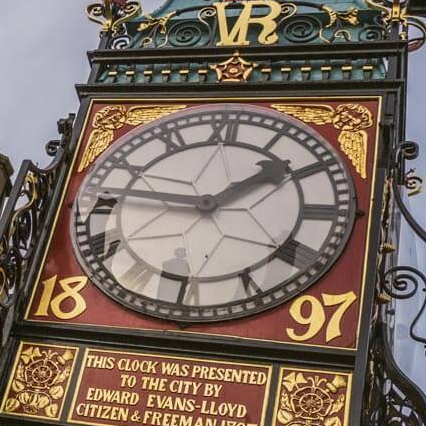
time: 1:46
